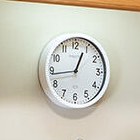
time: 12:43
